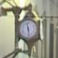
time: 11:28
